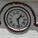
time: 1:28
